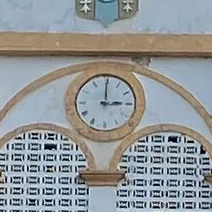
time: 3:00
